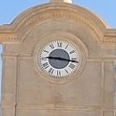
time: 9:16
